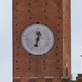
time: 12:32
